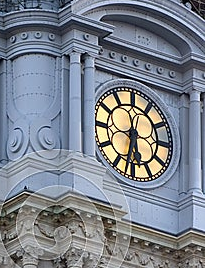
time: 5:31
